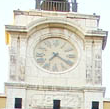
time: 7:20
